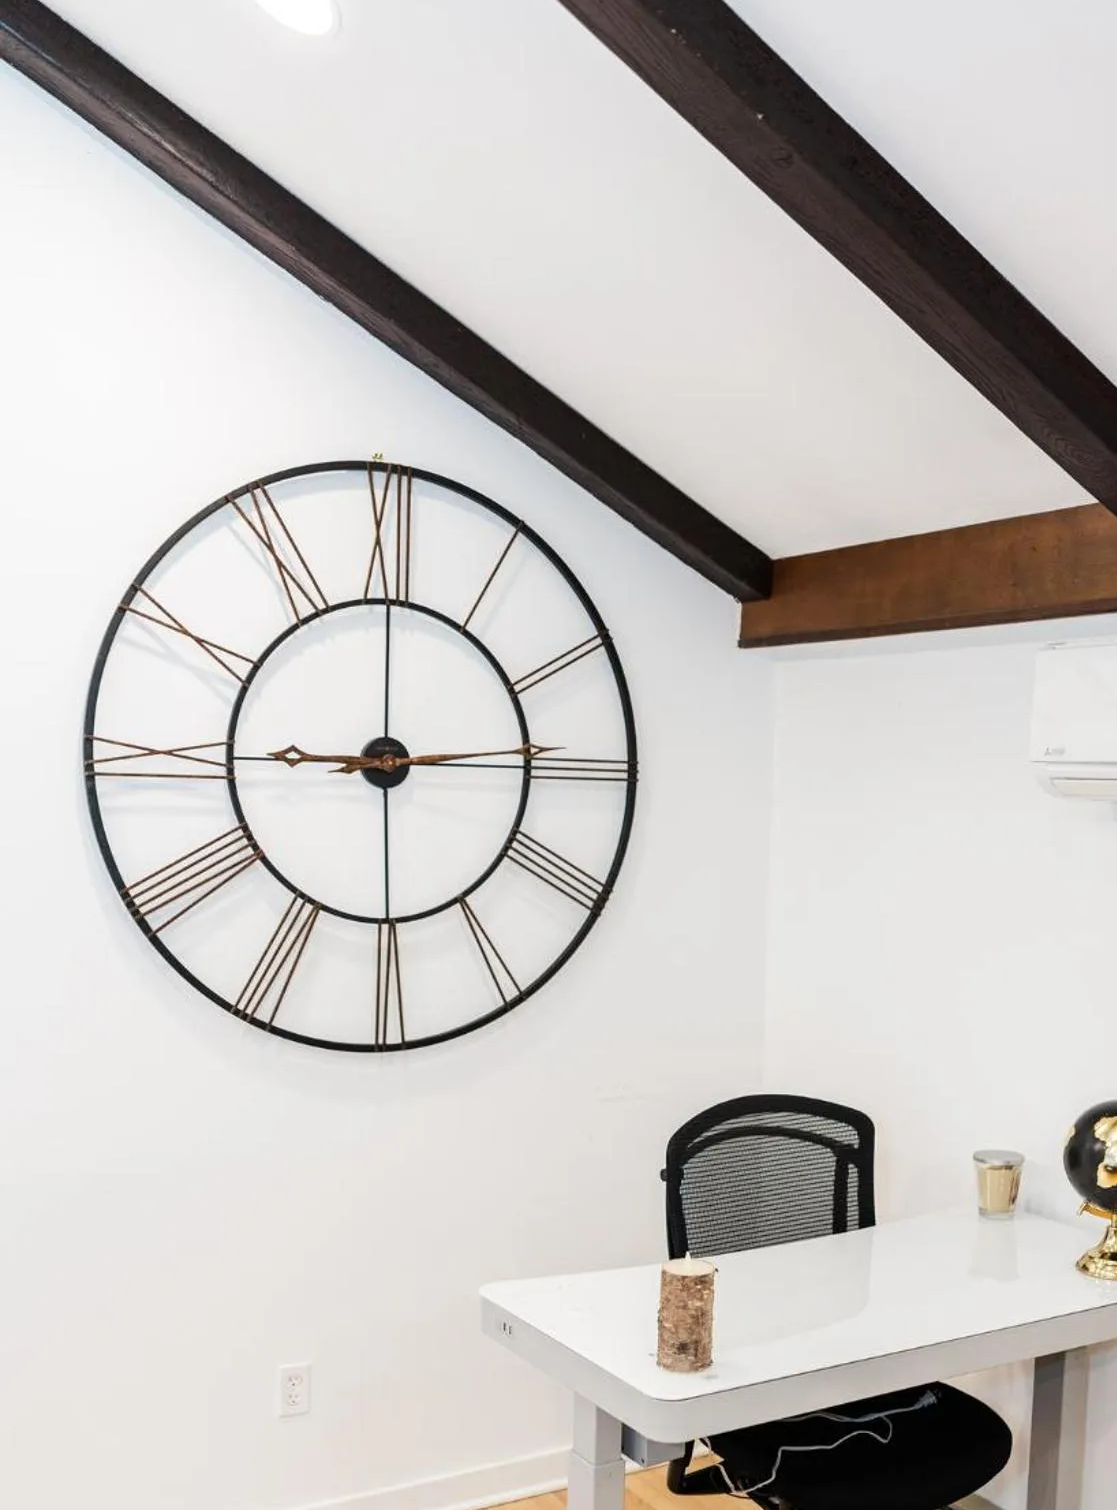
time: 9:00
